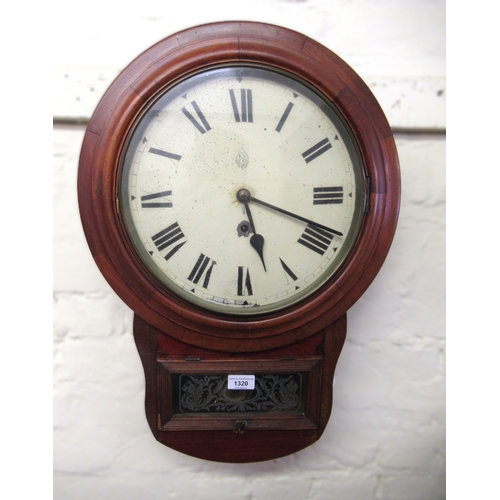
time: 5:18
